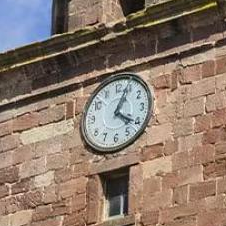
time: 4:04
